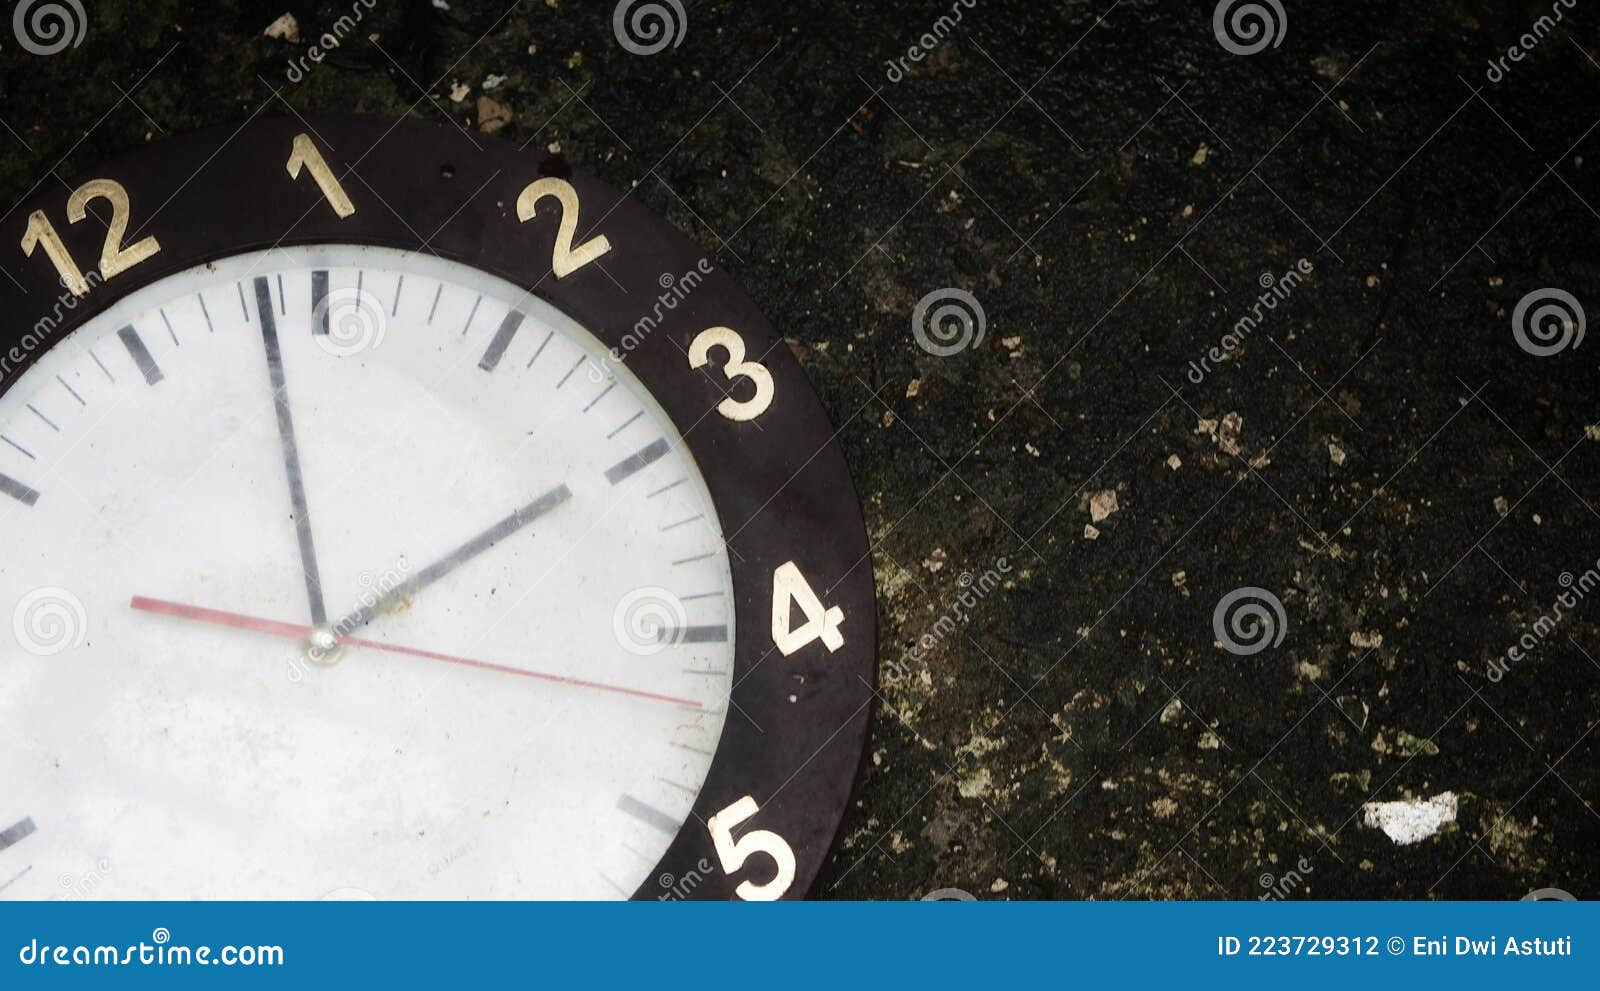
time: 1:58
